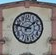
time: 1:46
